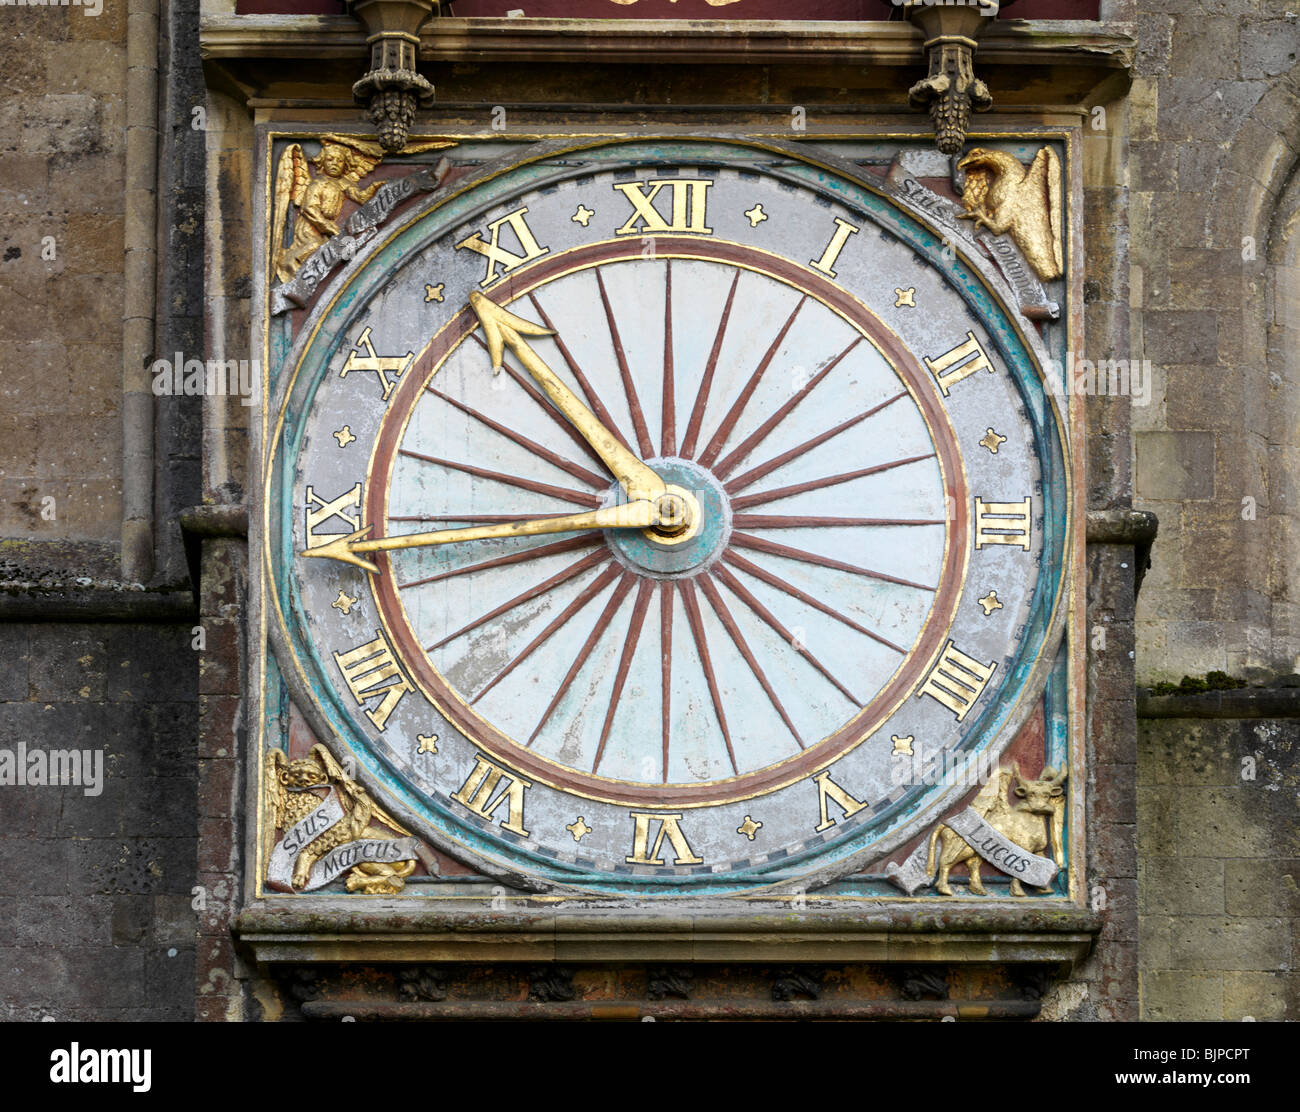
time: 8:53
